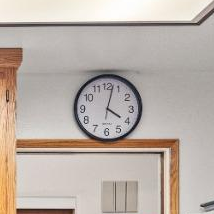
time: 4:02
